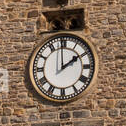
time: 1:59
